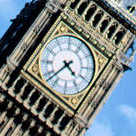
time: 4:37
